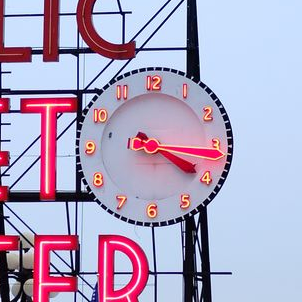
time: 3:15
